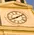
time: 8:09
